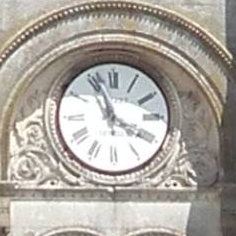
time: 3:56
